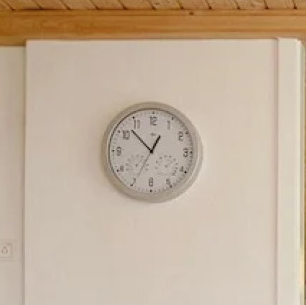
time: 12:52
